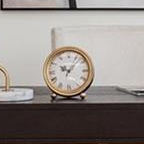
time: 10:07
